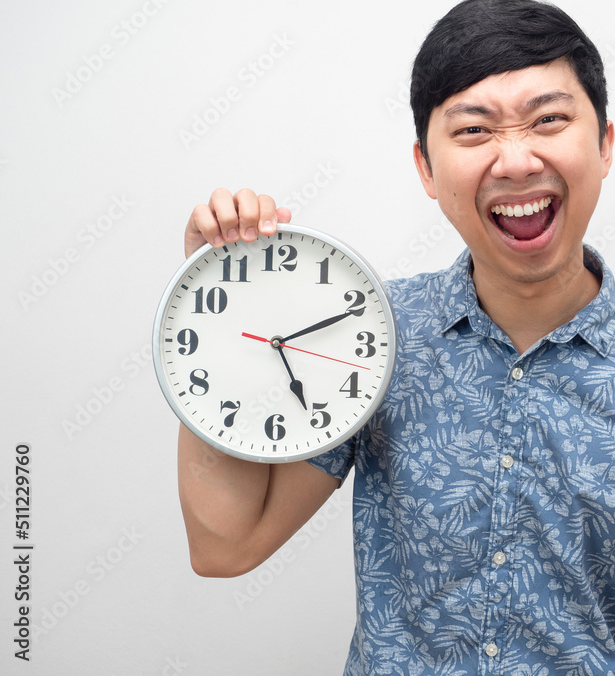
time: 5:11
